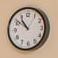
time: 10:51
